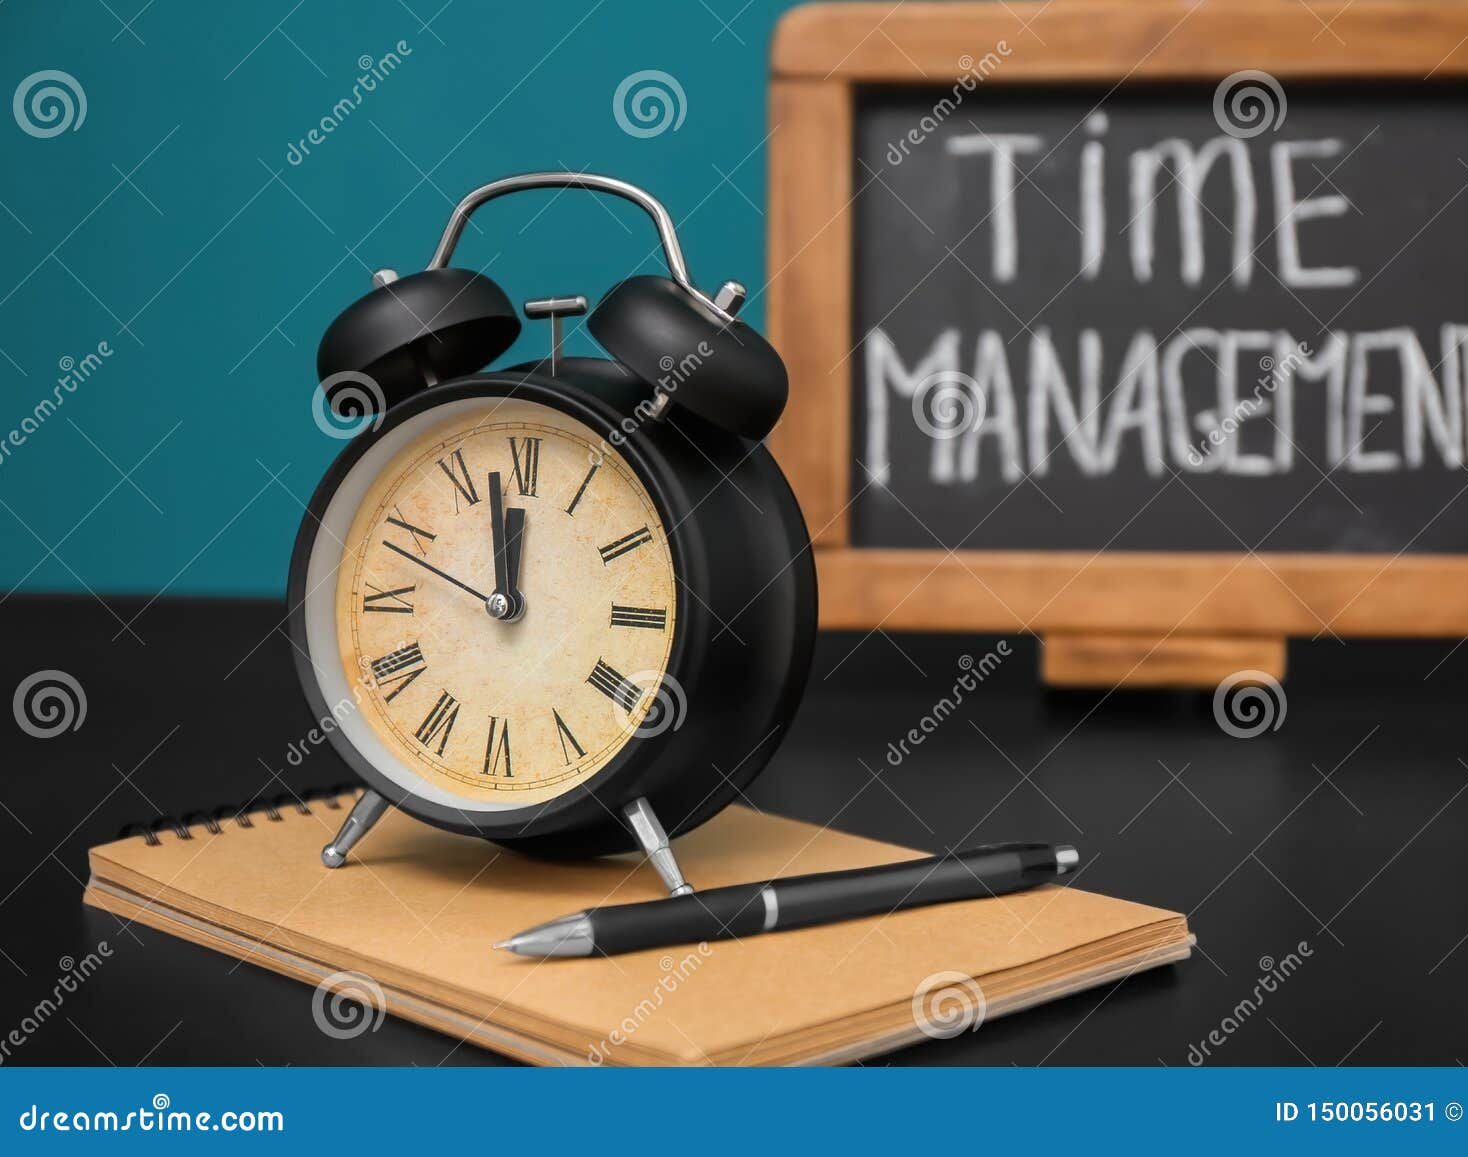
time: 11:57
